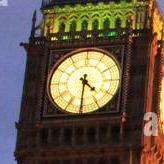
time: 4:30
